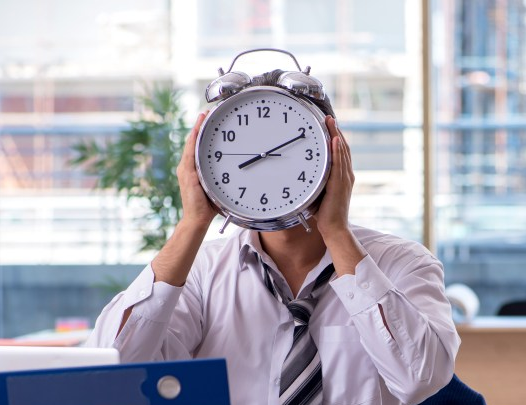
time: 8:10
